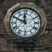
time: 11:49
